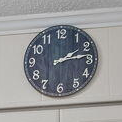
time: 2:13
